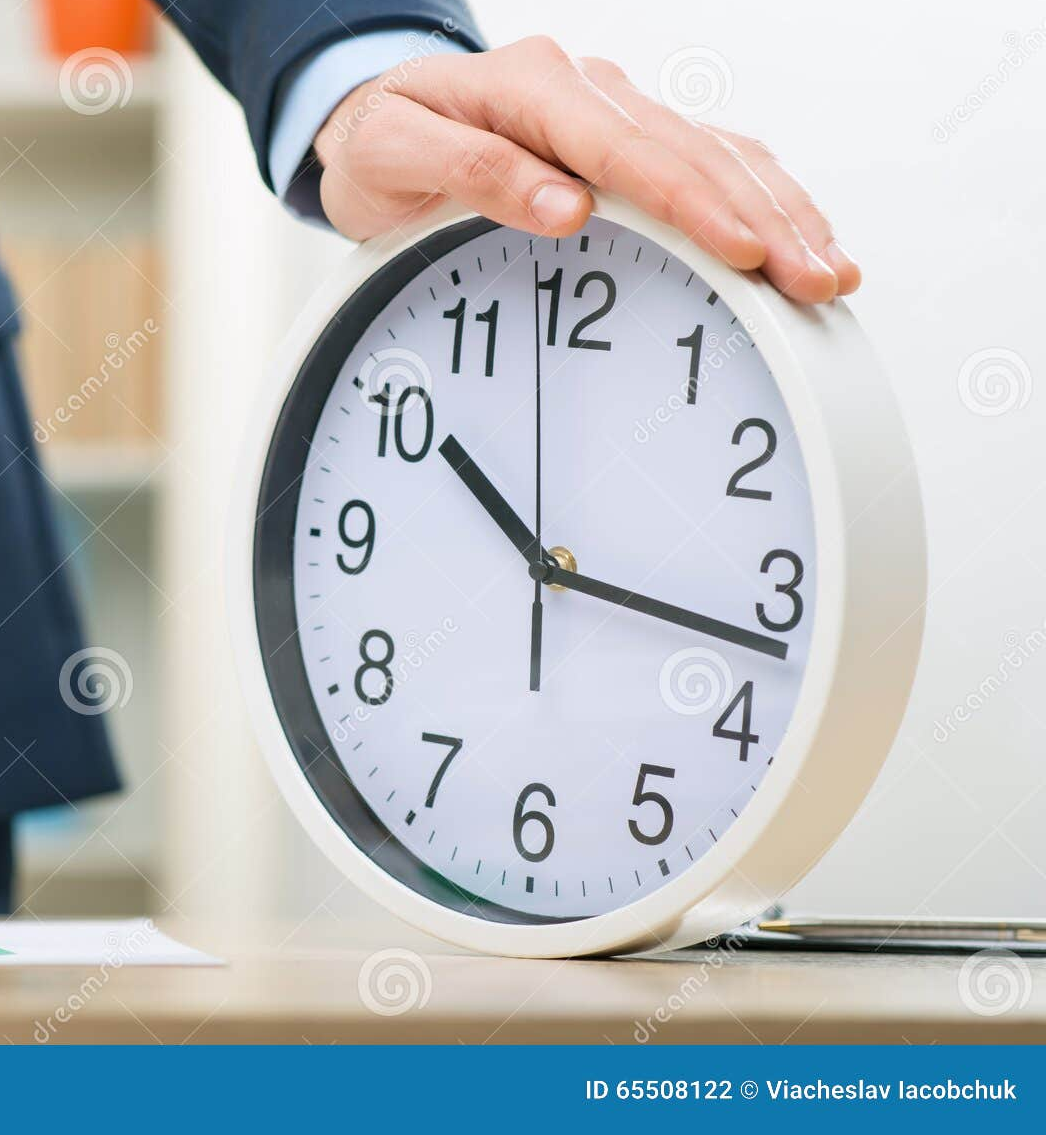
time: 10:16
